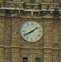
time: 1:39
